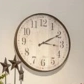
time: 3:10
